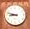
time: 8:47
